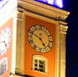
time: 4:48
